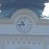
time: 10:43
